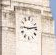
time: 9:13
